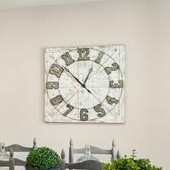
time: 12:52
